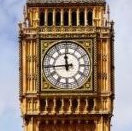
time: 11:44
